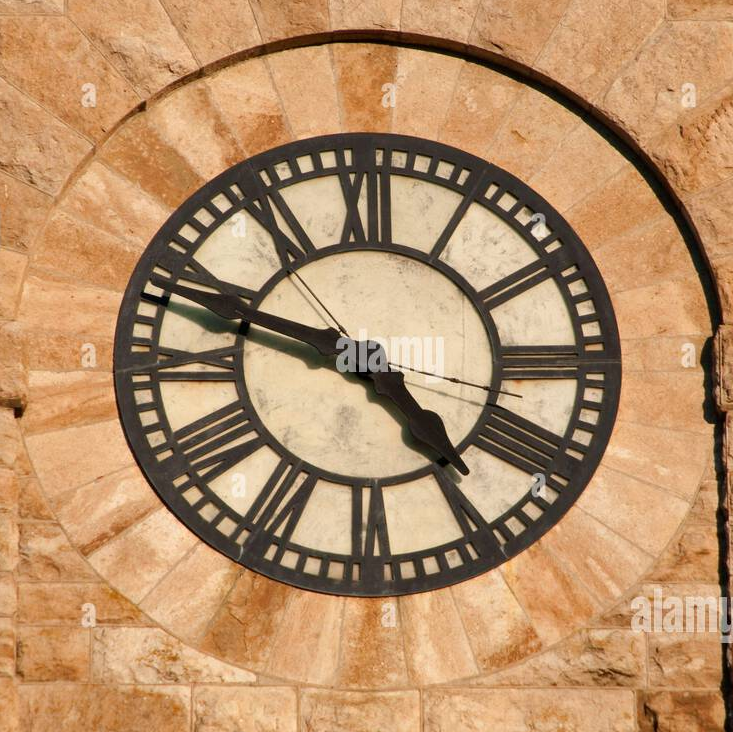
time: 4:47
